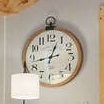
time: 12:42
